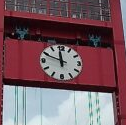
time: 11:48
